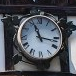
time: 11:16
